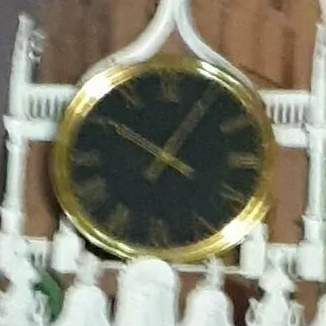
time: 10:05
